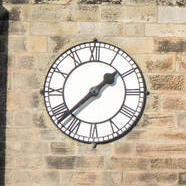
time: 1:38
